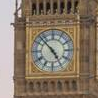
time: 4:52
